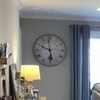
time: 5:49
